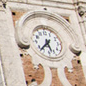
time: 5:37
